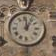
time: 12:05
